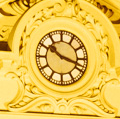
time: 10:18
